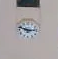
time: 2:48
